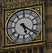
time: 5:21
